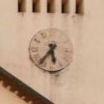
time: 5:36
